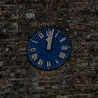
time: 12:02
